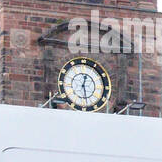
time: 12:27
